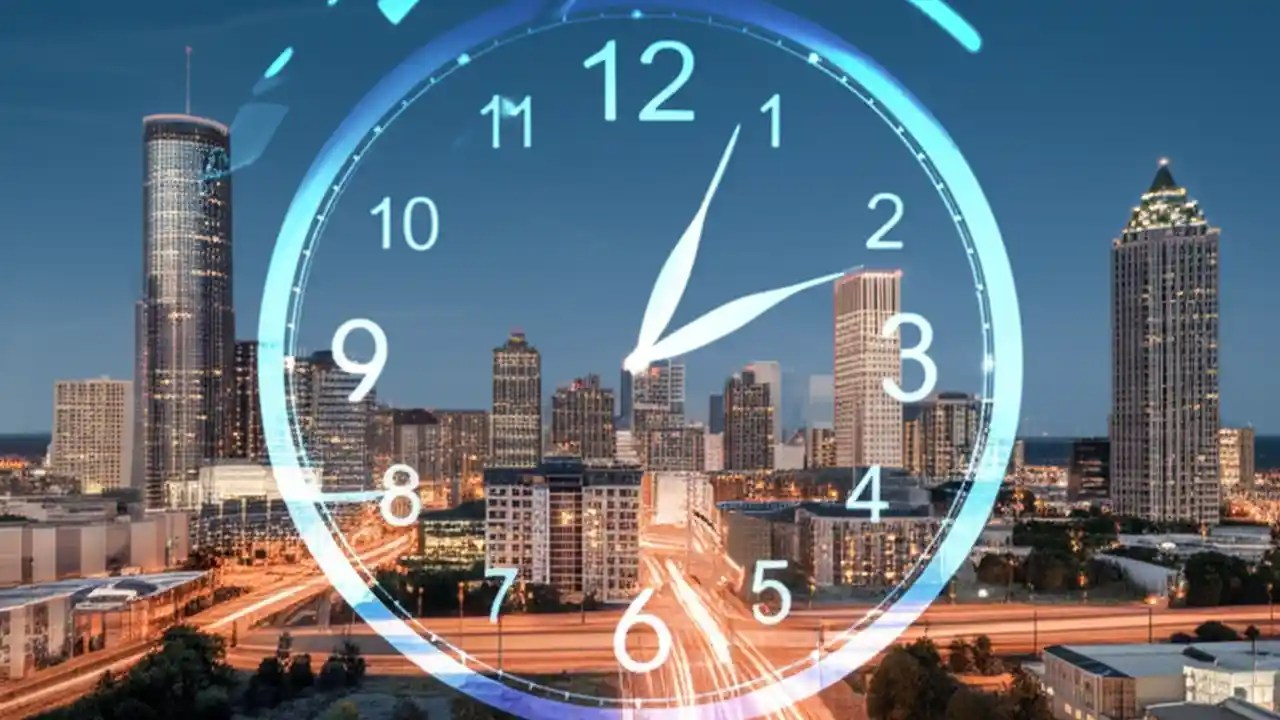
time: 2:03
